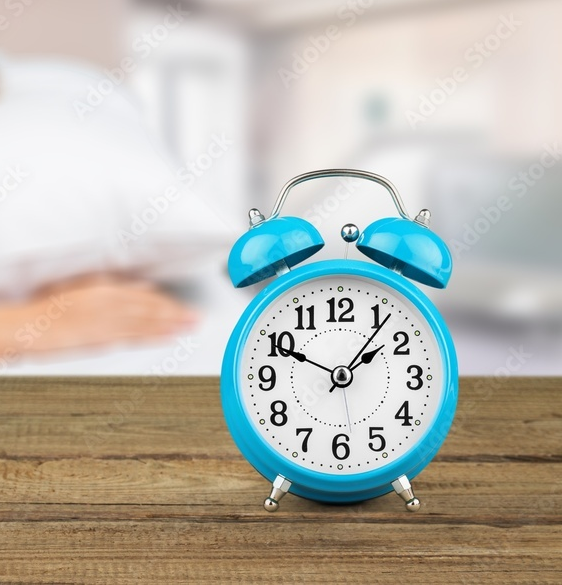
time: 1:49
